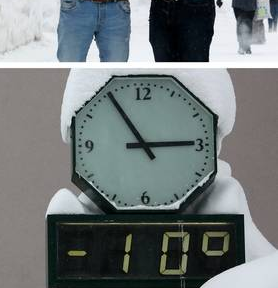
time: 2:54
